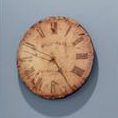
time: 4:48
